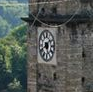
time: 5:40
